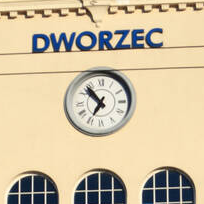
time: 6:53
